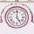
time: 5:00
